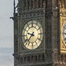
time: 9:37
